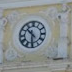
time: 10:30
